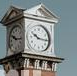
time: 10:15
